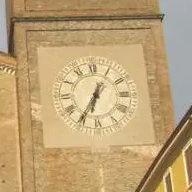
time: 6:35
